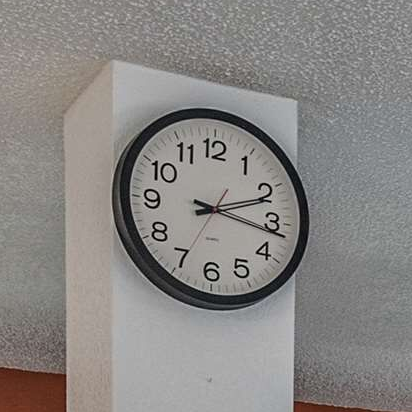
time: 2:16
